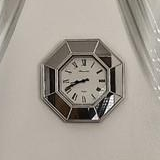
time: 8:41
